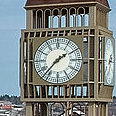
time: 1:36
